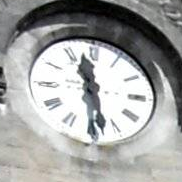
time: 11:28
